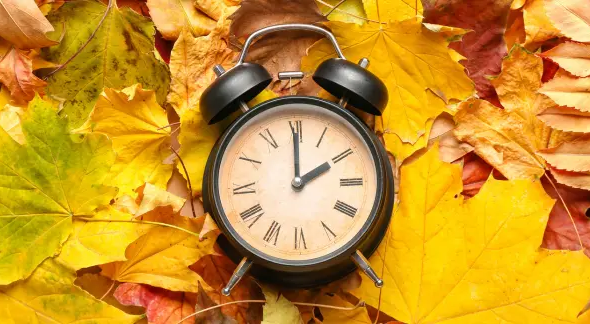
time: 2:00
